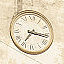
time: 7:15
